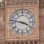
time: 3:47
